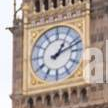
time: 1:11
